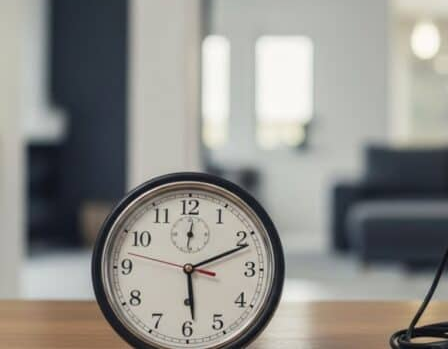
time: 5:11
